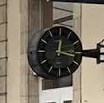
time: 12:16
